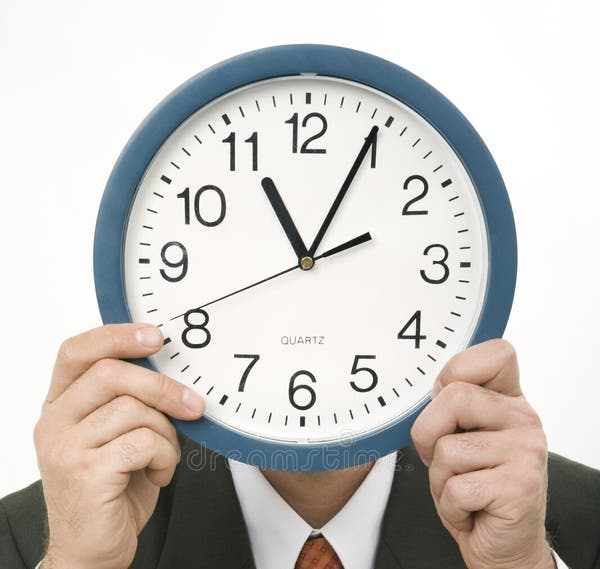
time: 11:04
